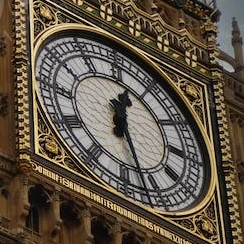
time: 12:27
